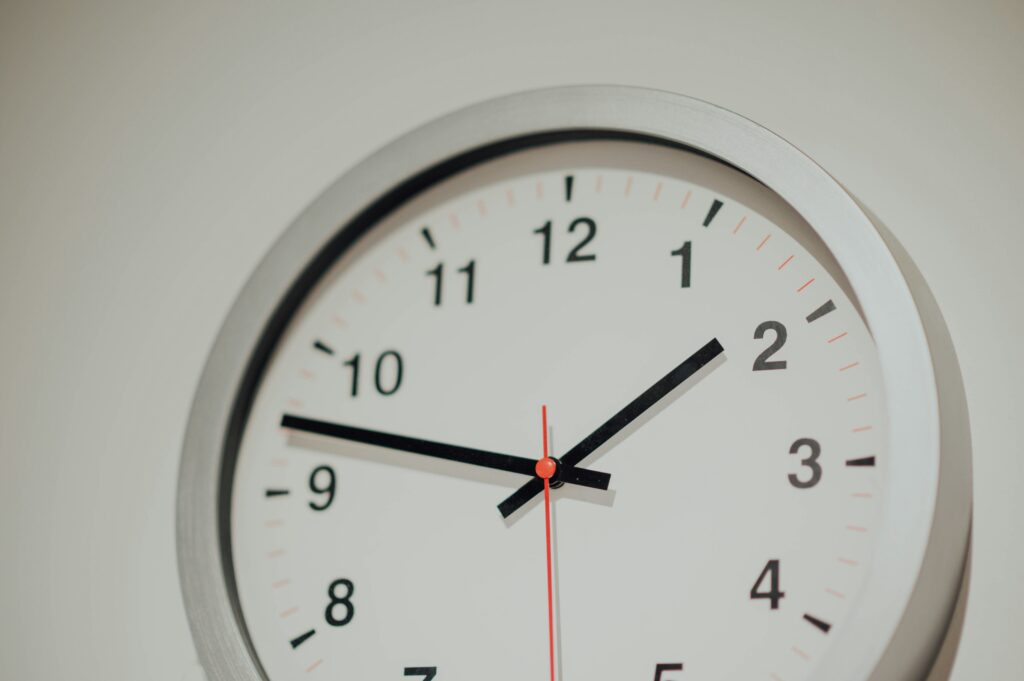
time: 1:47
